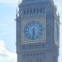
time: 5:31
